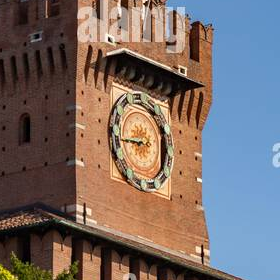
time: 8:45
